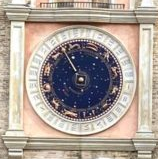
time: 10:54
